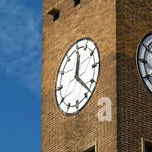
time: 12:22
